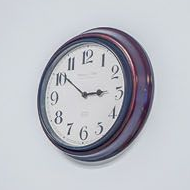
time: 2:51
